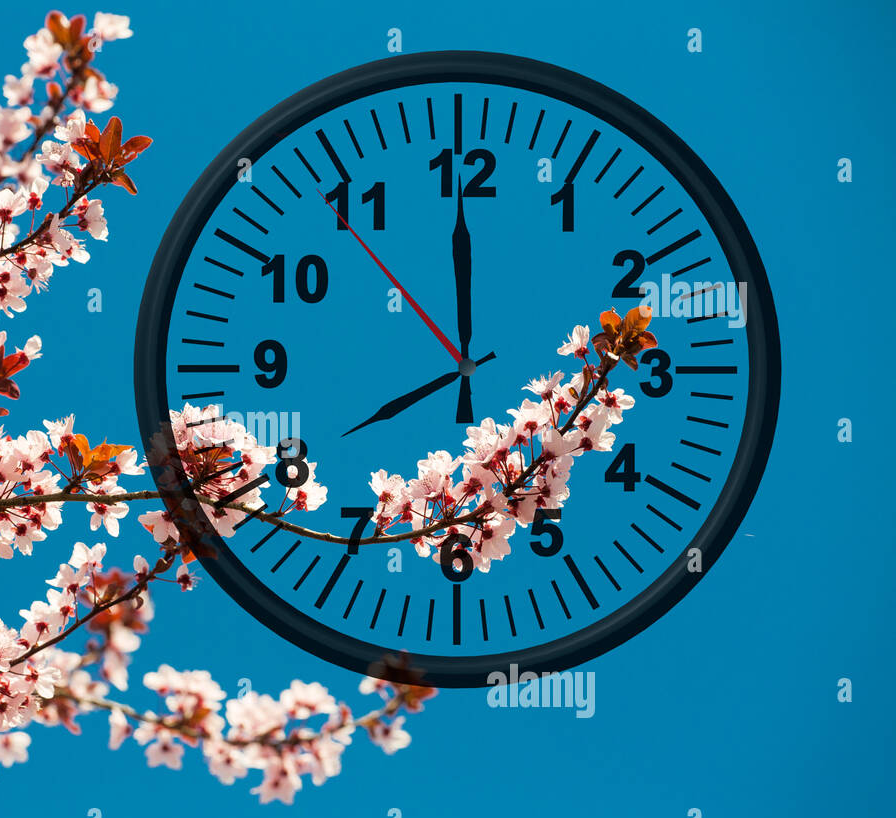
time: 7:59
